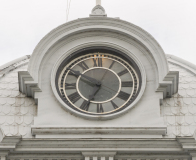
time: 6:49
